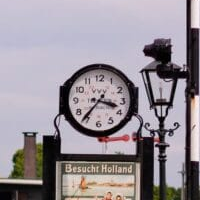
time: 3:36
